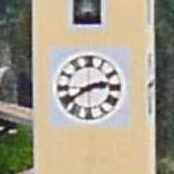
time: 2:39
